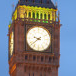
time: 9:38
